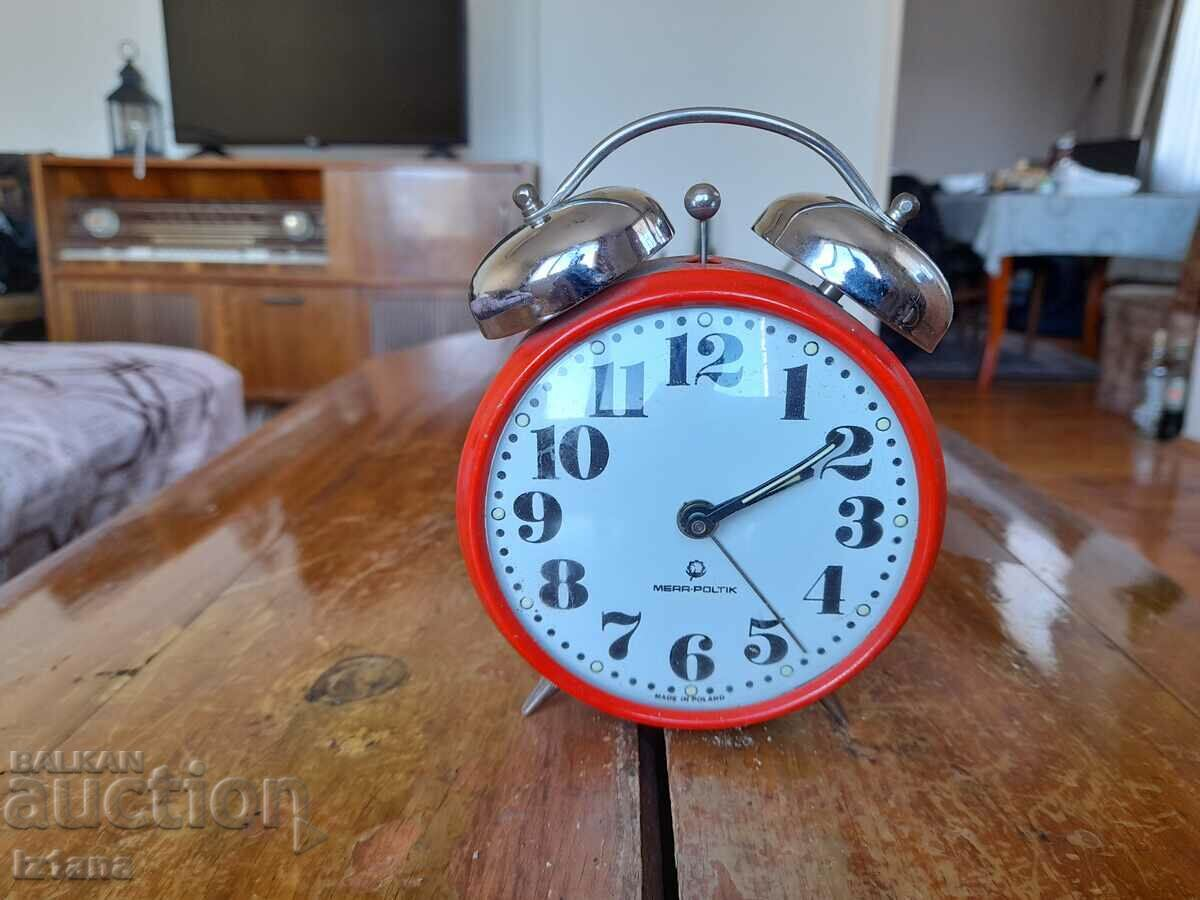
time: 2:10
